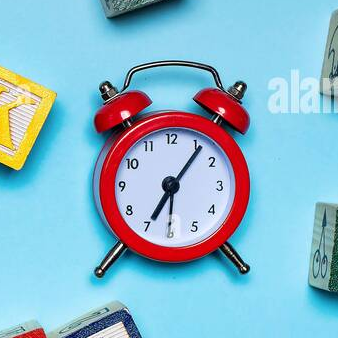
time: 7:06
